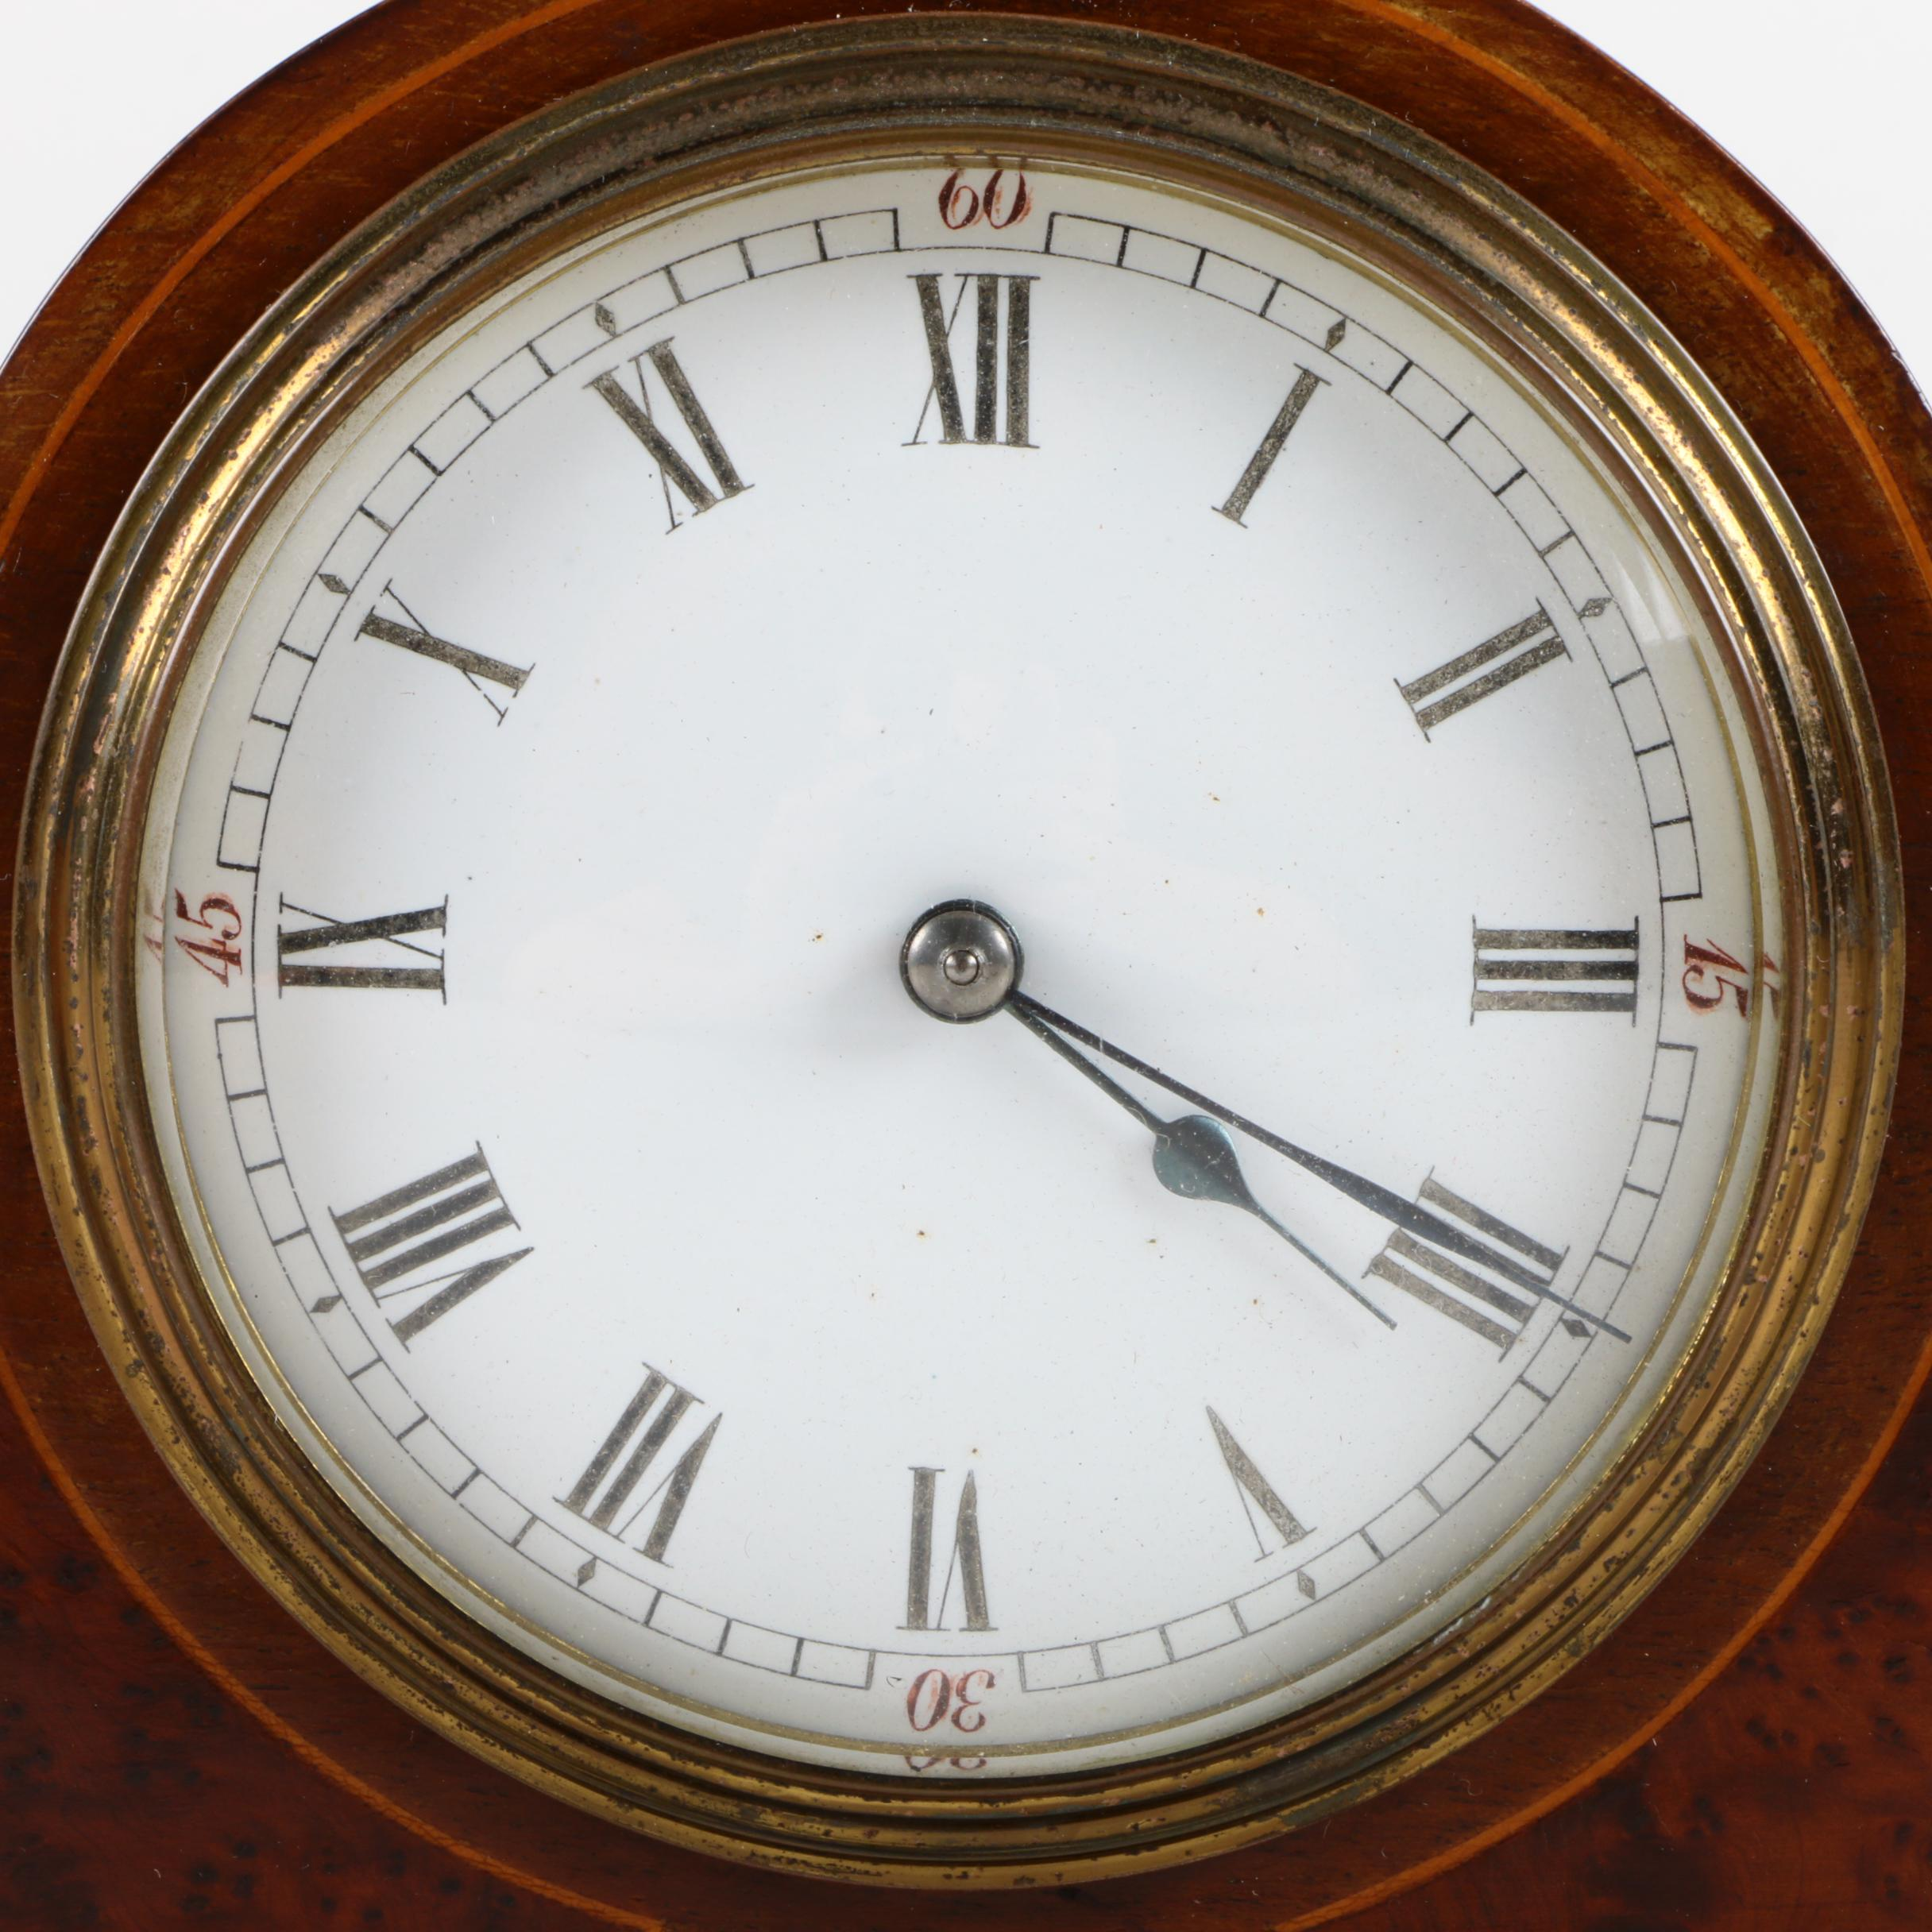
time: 4:19
